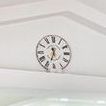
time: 11:32
